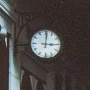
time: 3:00
